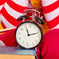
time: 11:11
